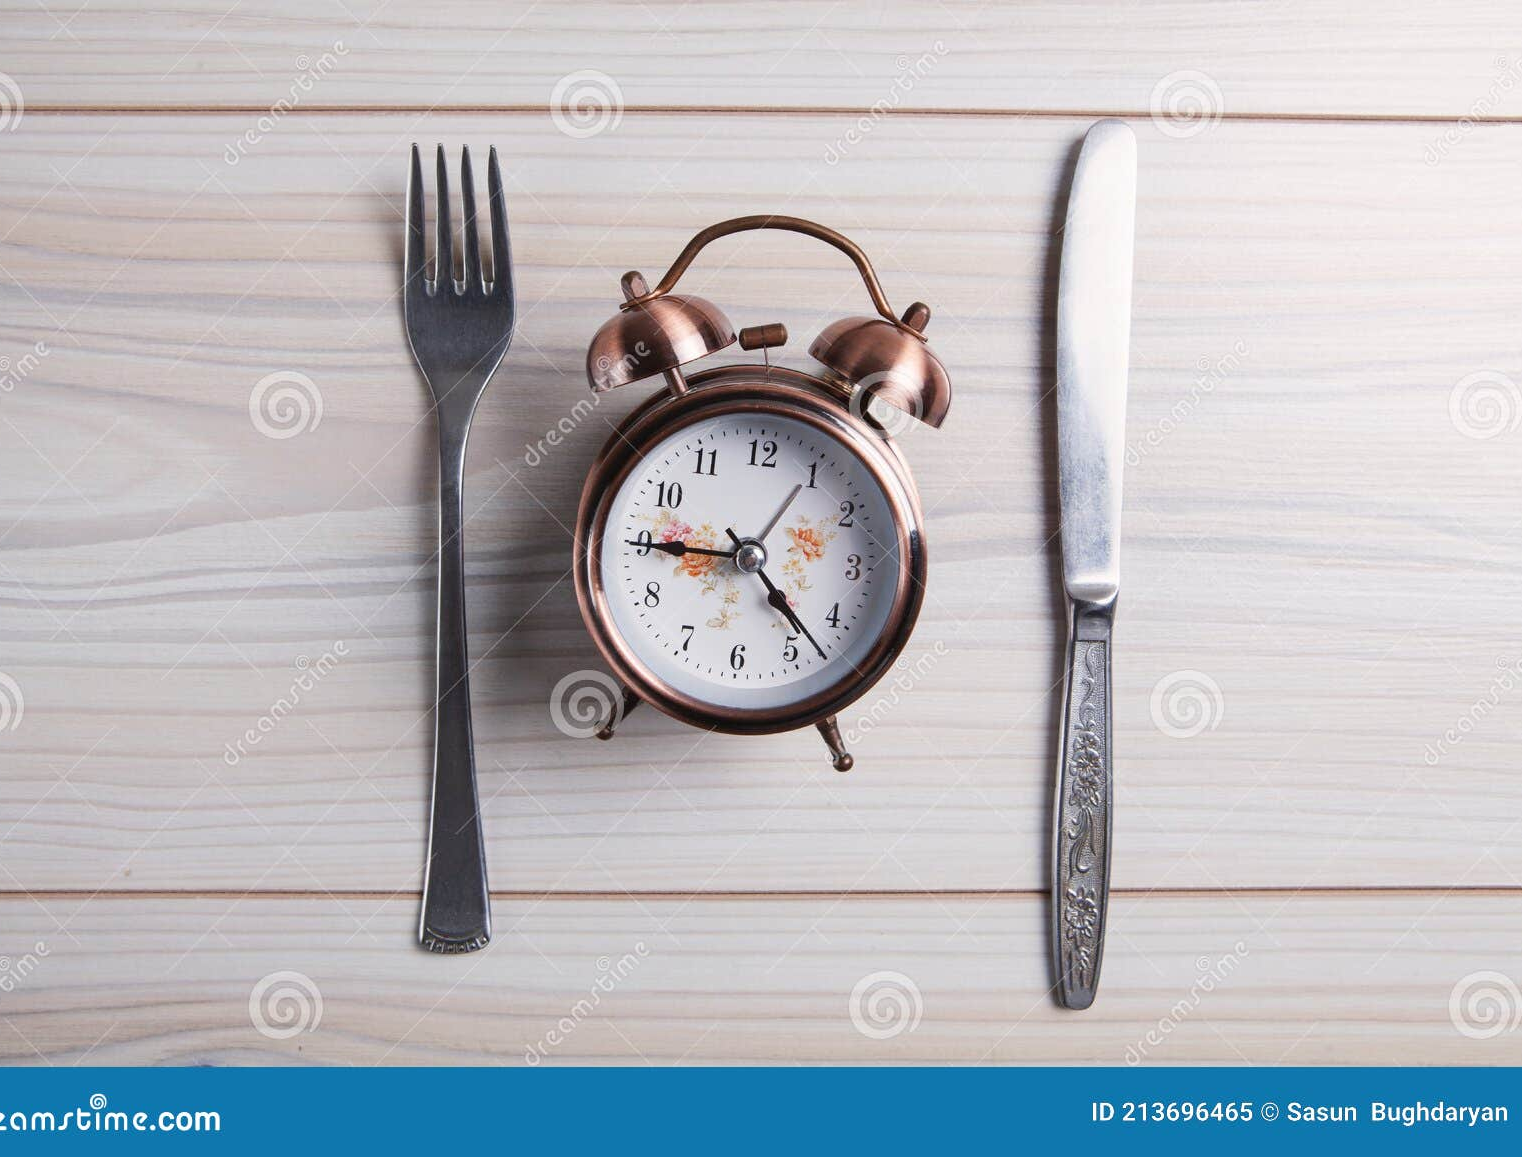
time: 9:22
